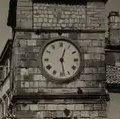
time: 12:28
